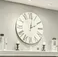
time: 2:01
